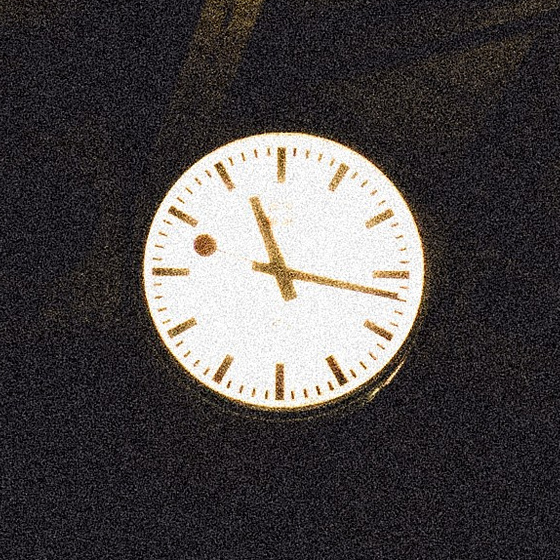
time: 11:16
